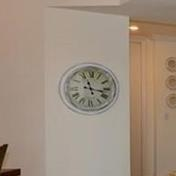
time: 11:17
